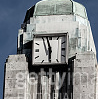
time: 5:57
